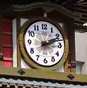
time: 2:11
